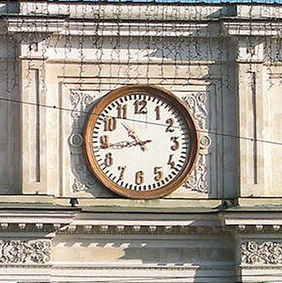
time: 10:43
